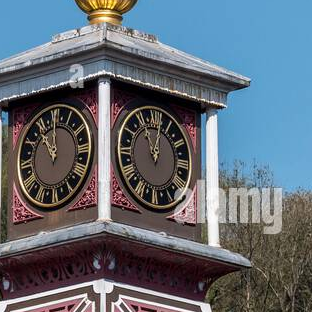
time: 11:02
